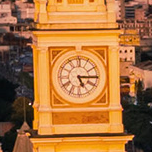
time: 5:15
